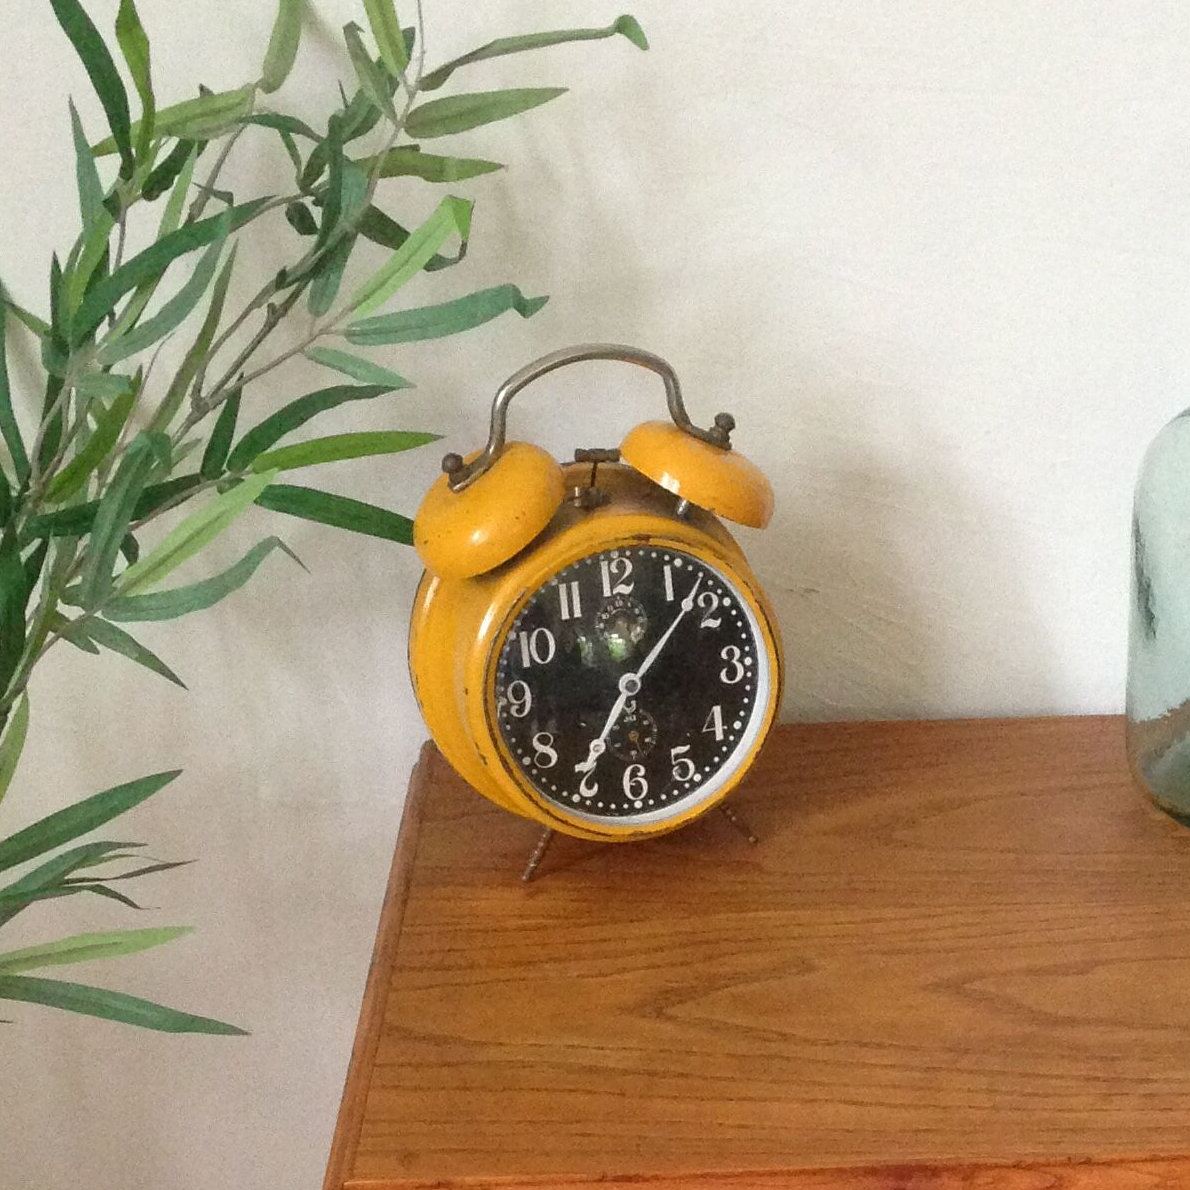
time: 7:07
